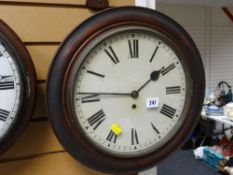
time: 1:45
